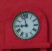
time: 8:57
